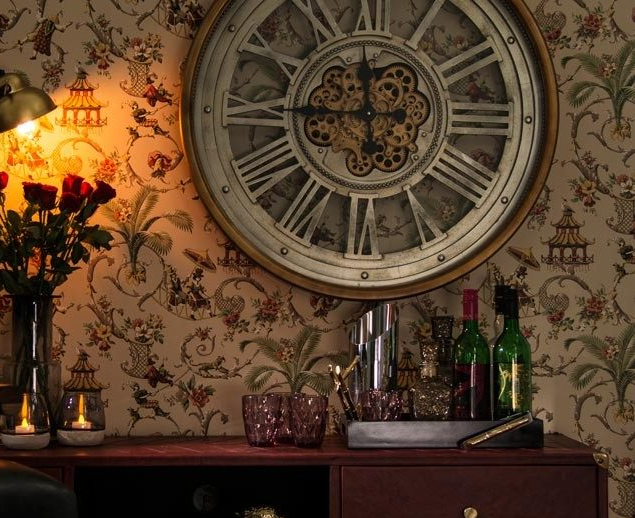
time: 11:45
